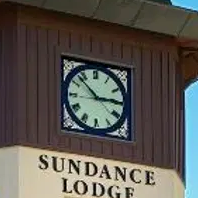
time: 2:52
